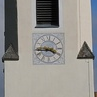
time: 3:44
